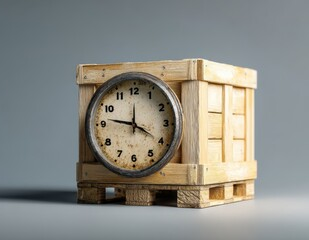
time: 9:20
